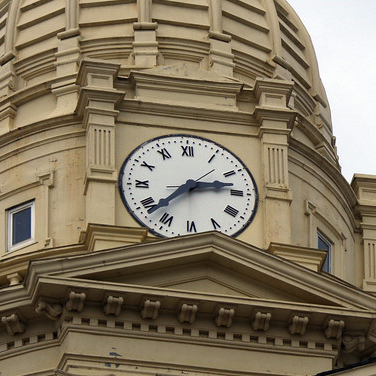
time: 2:38
